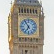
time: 6:54
